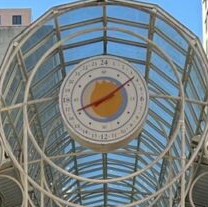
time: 8:09
